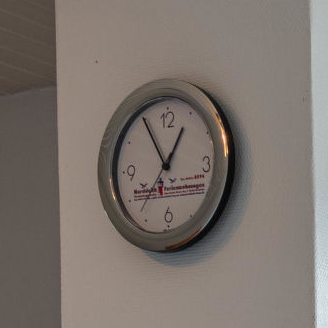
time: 12:55
